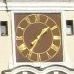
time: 1:35
